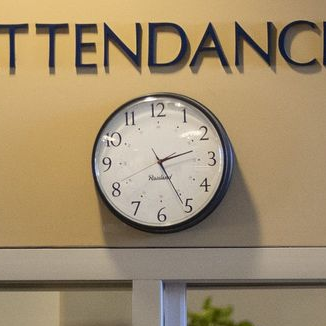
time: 2:25
